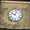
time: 10:03
